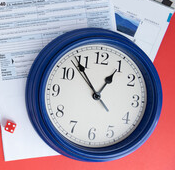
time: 12:53
